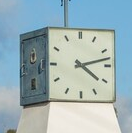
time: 4:12
